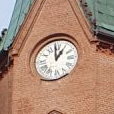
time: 12:59
